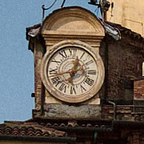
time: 12:42
